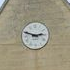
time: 2:48
